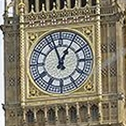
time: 12:57
